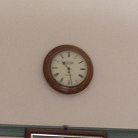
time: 10:28
